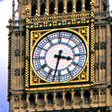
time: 3:32
